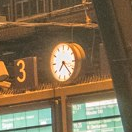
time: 7:23
